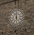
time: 5:59
